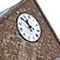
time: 10:50
